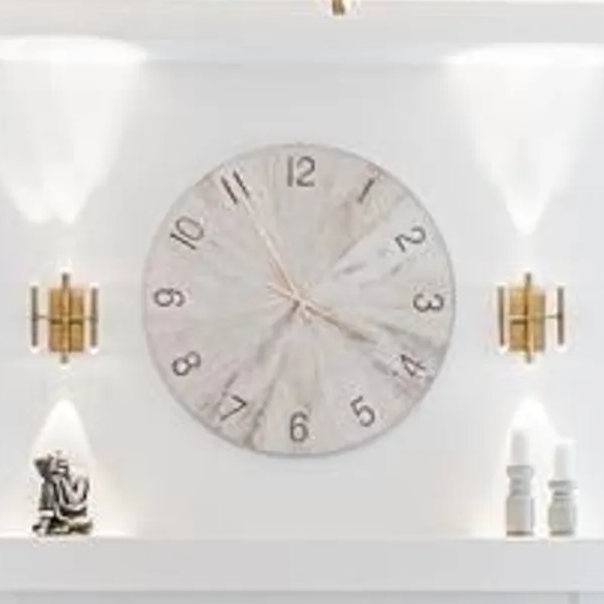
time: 3:55
